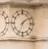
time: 1:33
